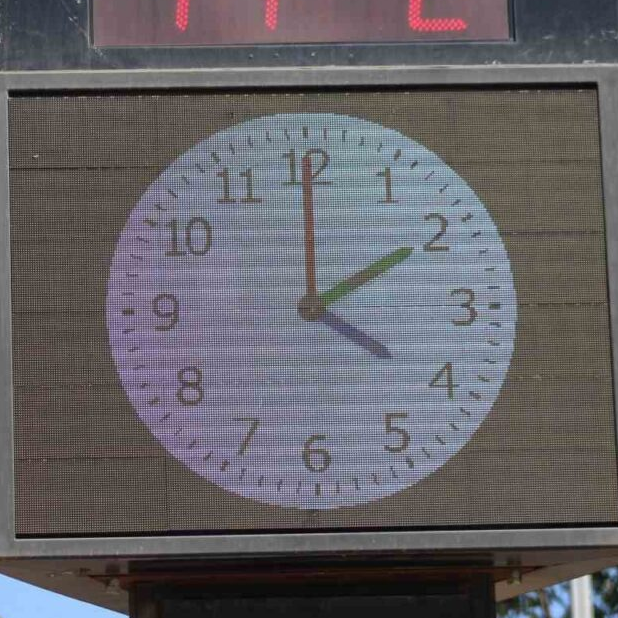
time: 2:00
